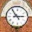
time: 2:54
